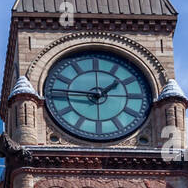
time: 1:46
